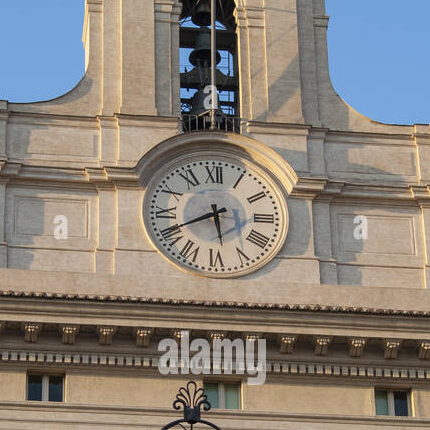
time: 5:40
